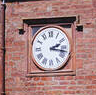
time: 2:17
